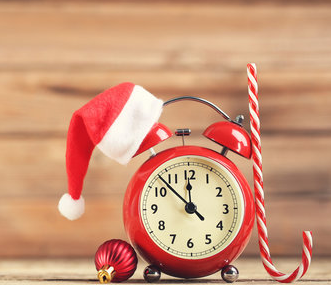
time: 11:52
